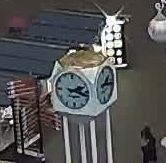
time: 2:18
